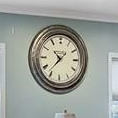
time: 10:36
